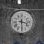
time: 3:29
